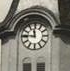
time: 11:45
